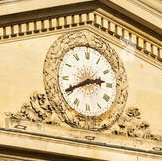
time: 2:40
